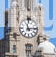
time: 11:13
